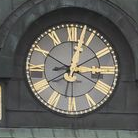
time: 3:02
